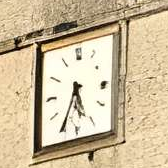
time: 5:35
